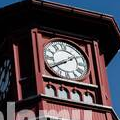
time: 1:40
